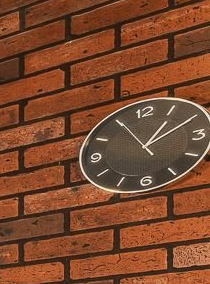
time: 1:10
